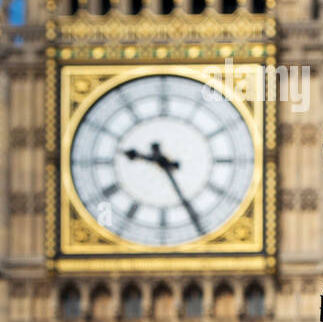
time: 9:25
